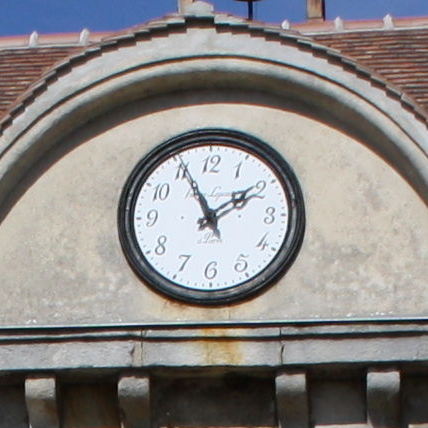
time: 1:55
